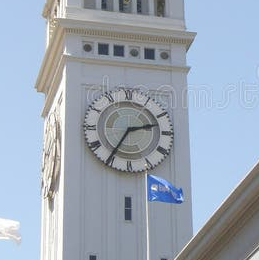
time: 2:35
